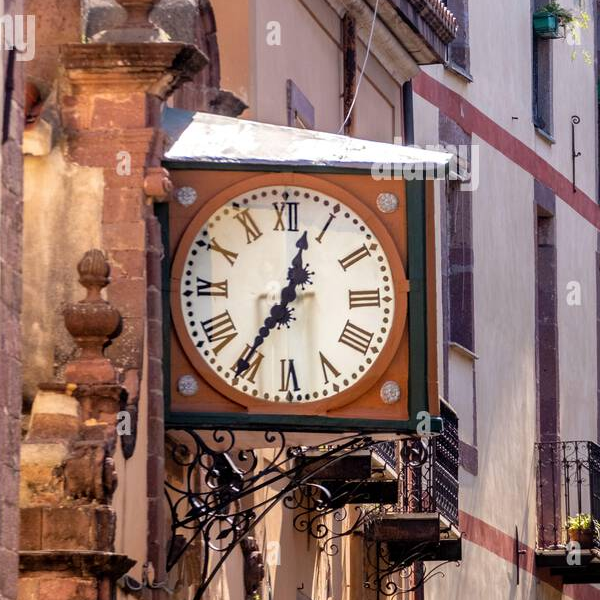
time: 12:35
